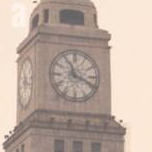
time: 11:18
